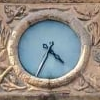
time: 4:34
